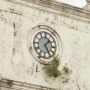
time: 1:24
